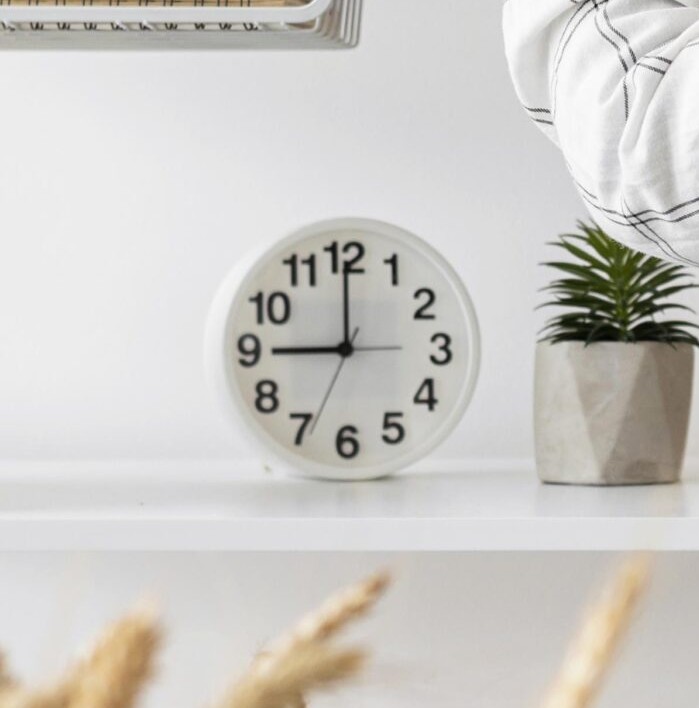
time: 9:00
